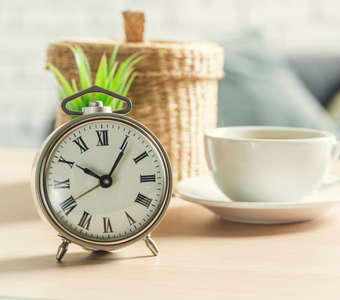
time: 10:05
